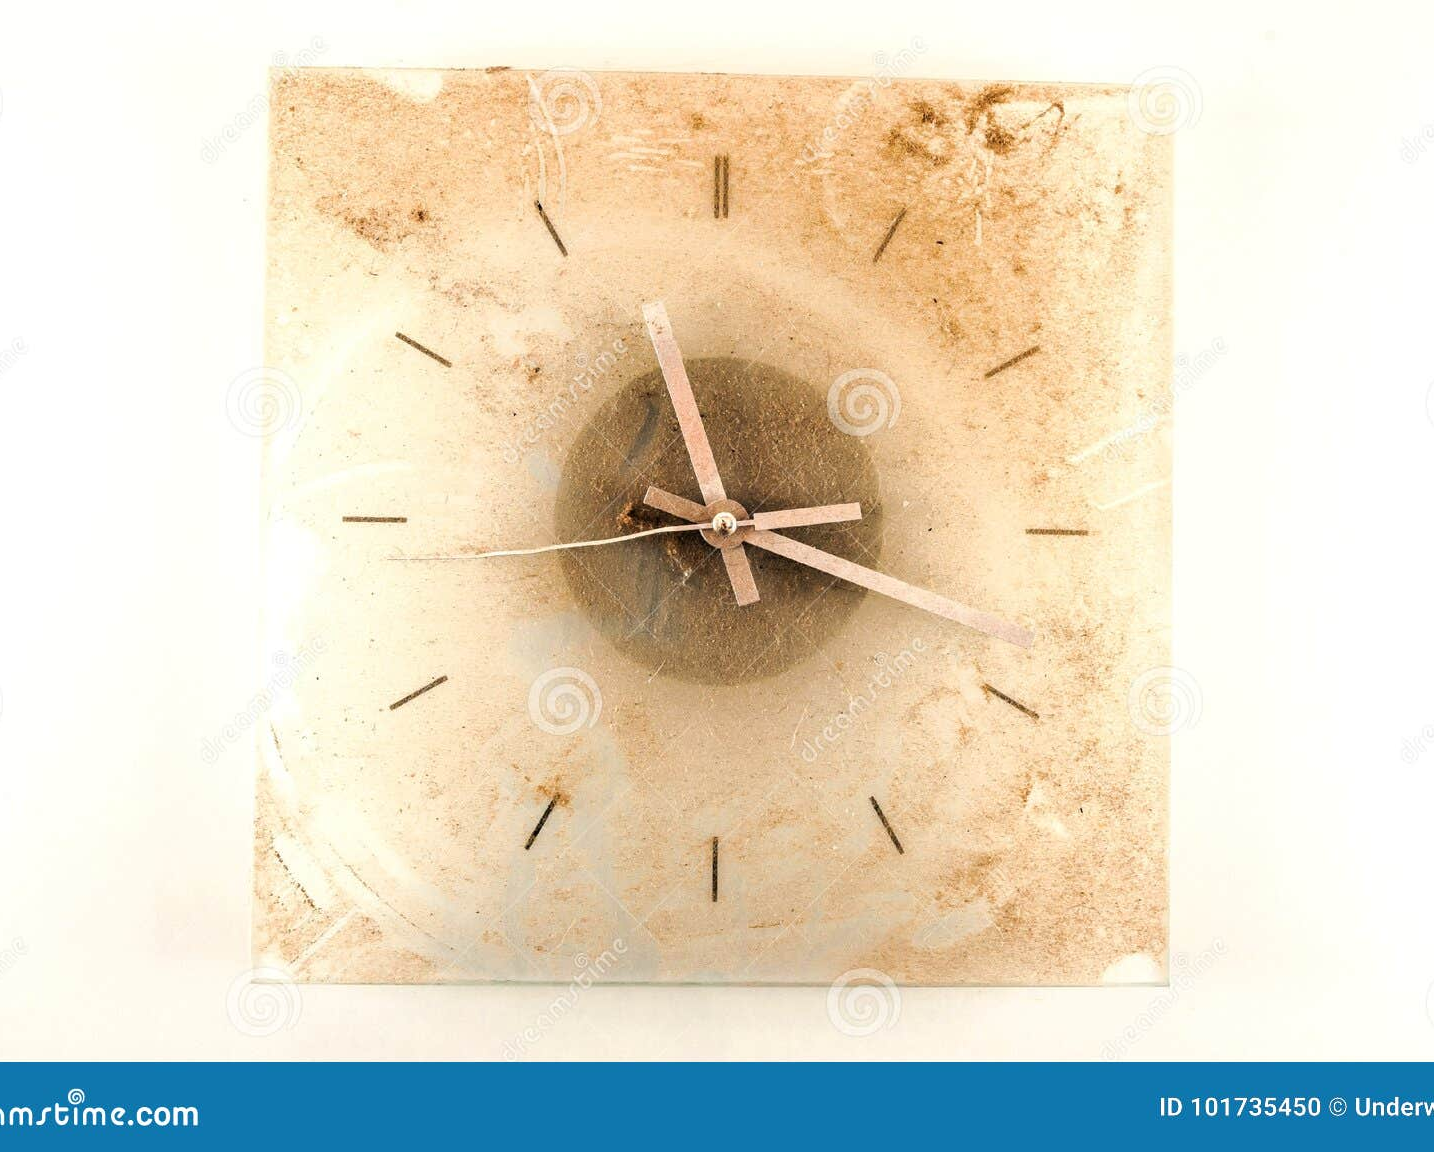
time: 11:18
